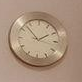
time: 1:52
